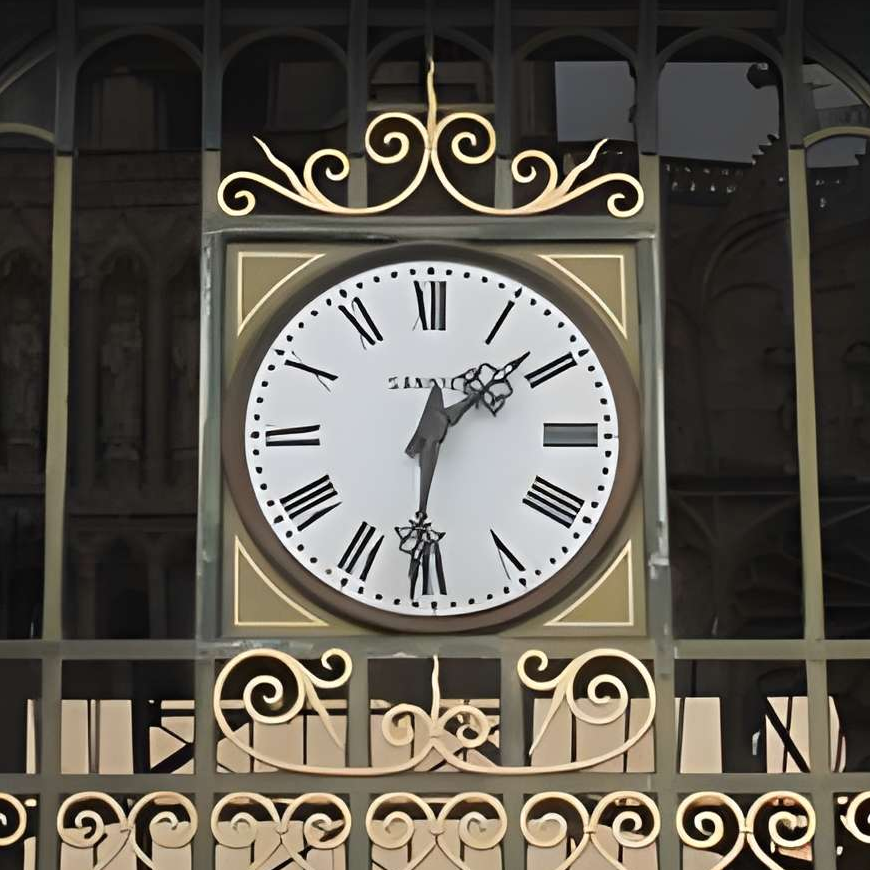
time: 1:31
